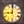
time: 9:01
